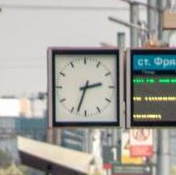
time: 2:33
